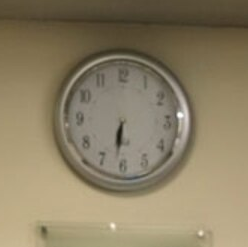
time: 6:31
